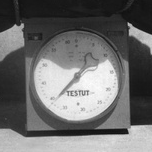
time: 1:38
